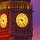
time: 9:25
